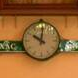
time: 10:00
